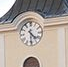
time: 4:29
